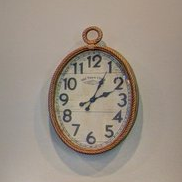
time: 1:11
